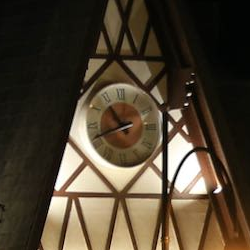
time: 10:41
